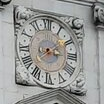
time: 3:09
